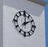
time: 2:00
